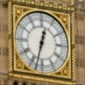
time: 12:32
